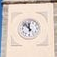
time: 11:53
